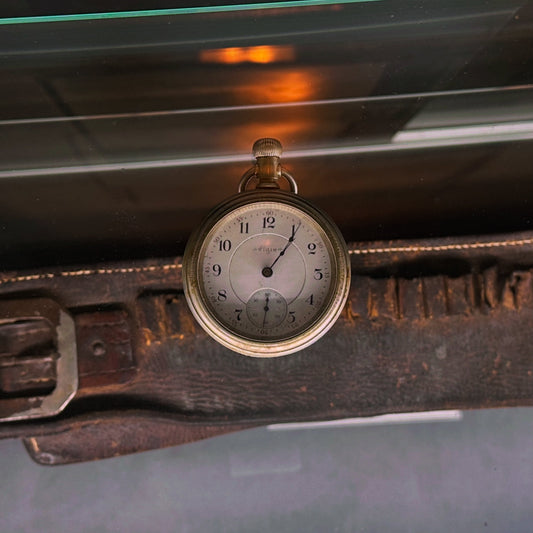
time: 1:05
